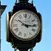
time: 10:15
